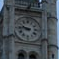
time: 9:45
